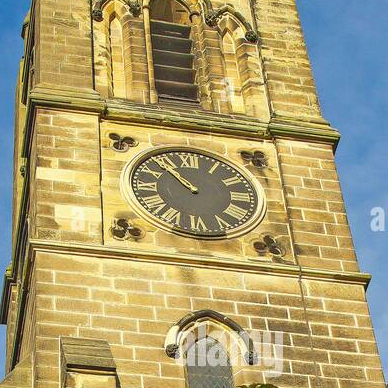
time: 10:52
